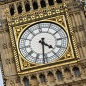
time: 4:31
